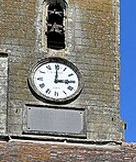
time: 3:00
